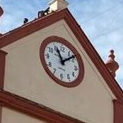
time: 11:08
